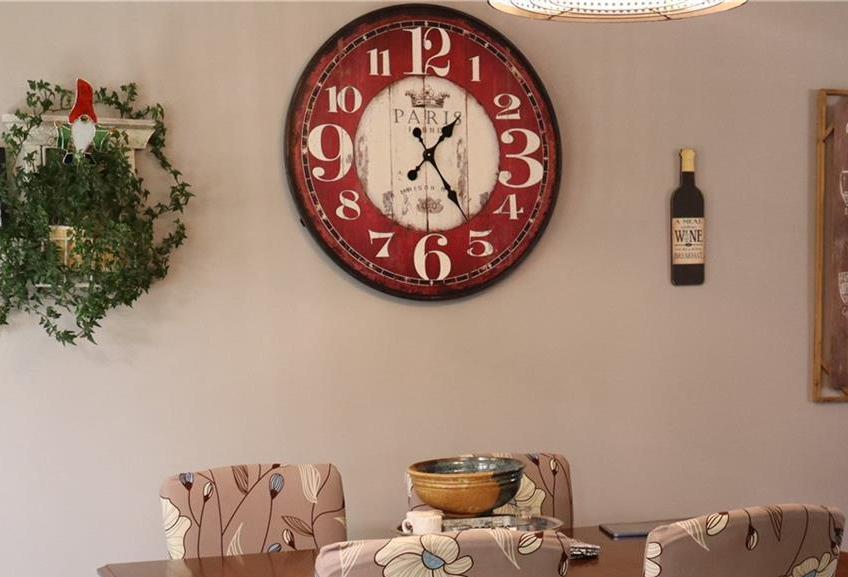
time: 1:24
